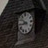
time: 8:51
